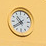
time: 10:39
